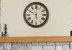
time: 10:00
